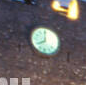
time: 8:00
